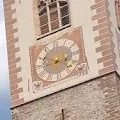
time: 3:49
